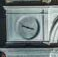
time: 2:48
